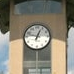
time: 12:48
